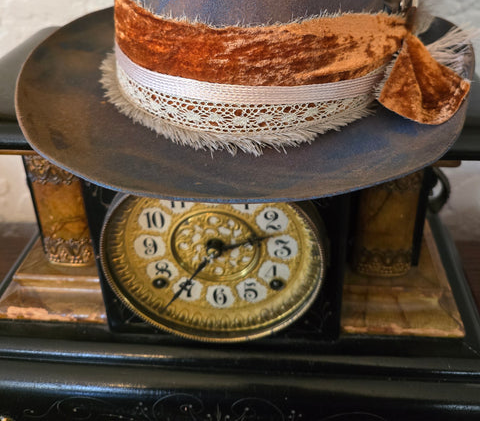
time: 2:36
